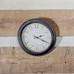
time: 2:19
